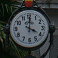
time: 4:00
